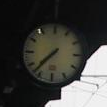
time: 7:37
